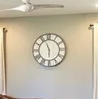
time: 5:56
